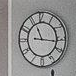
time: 11:16
